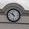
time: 10:50
